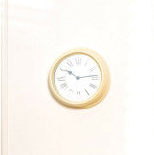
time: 10:13
